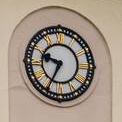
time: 9:34
